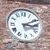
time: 3:11
